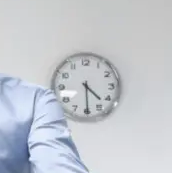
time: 4:29
